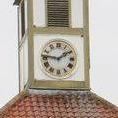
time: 1:46
